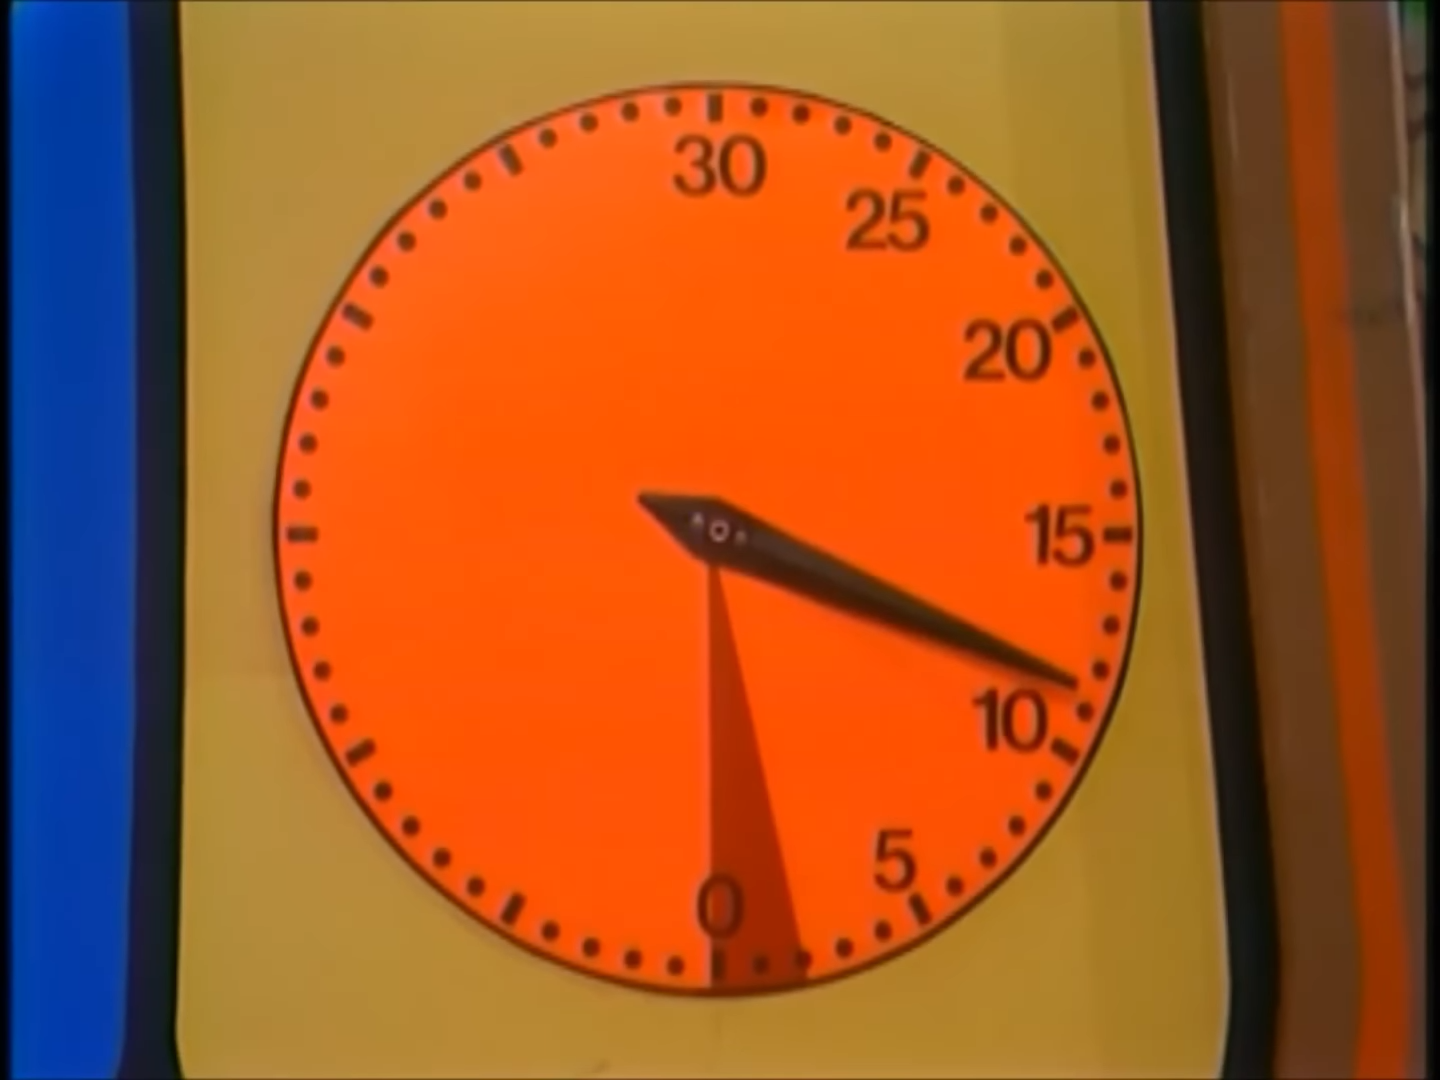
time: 3:18
